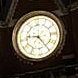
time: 9:24
